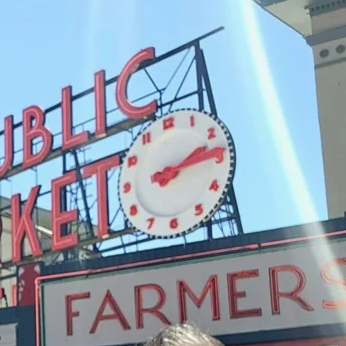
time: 2:14
